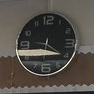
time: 9:20
